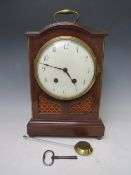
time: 4:47
